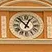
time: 12:52
